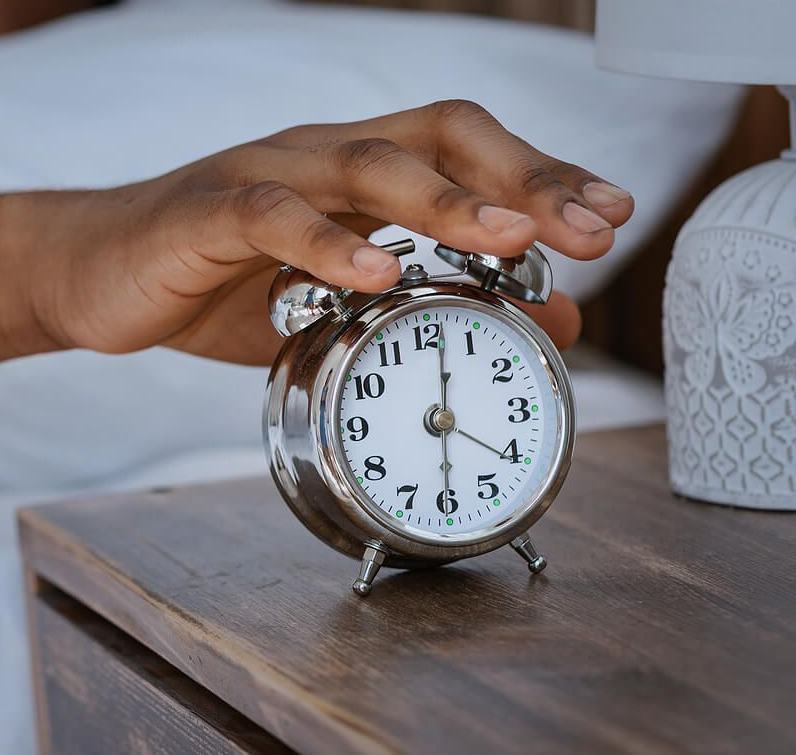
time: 4:01
